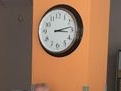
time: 3:13
